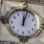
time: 12:02
